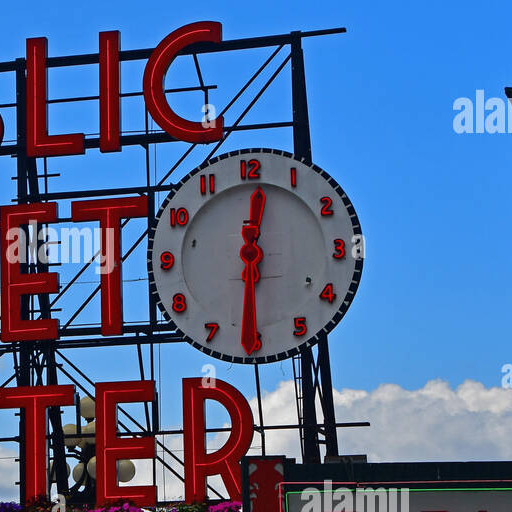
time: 12:30
